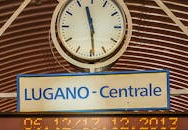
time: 11:29
